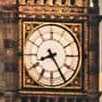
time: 8:24
